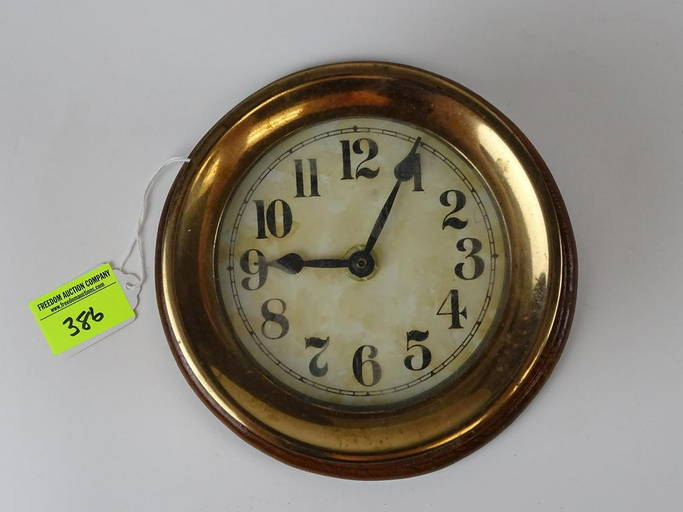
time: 9:04
